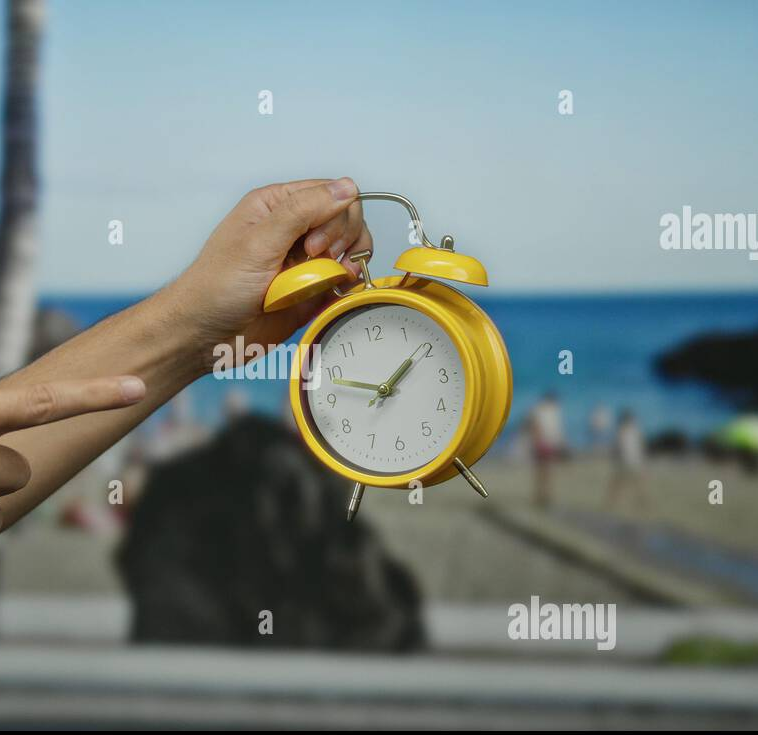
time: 1:46
